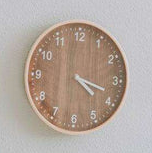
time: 4:18
